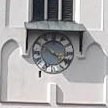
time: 3:50
